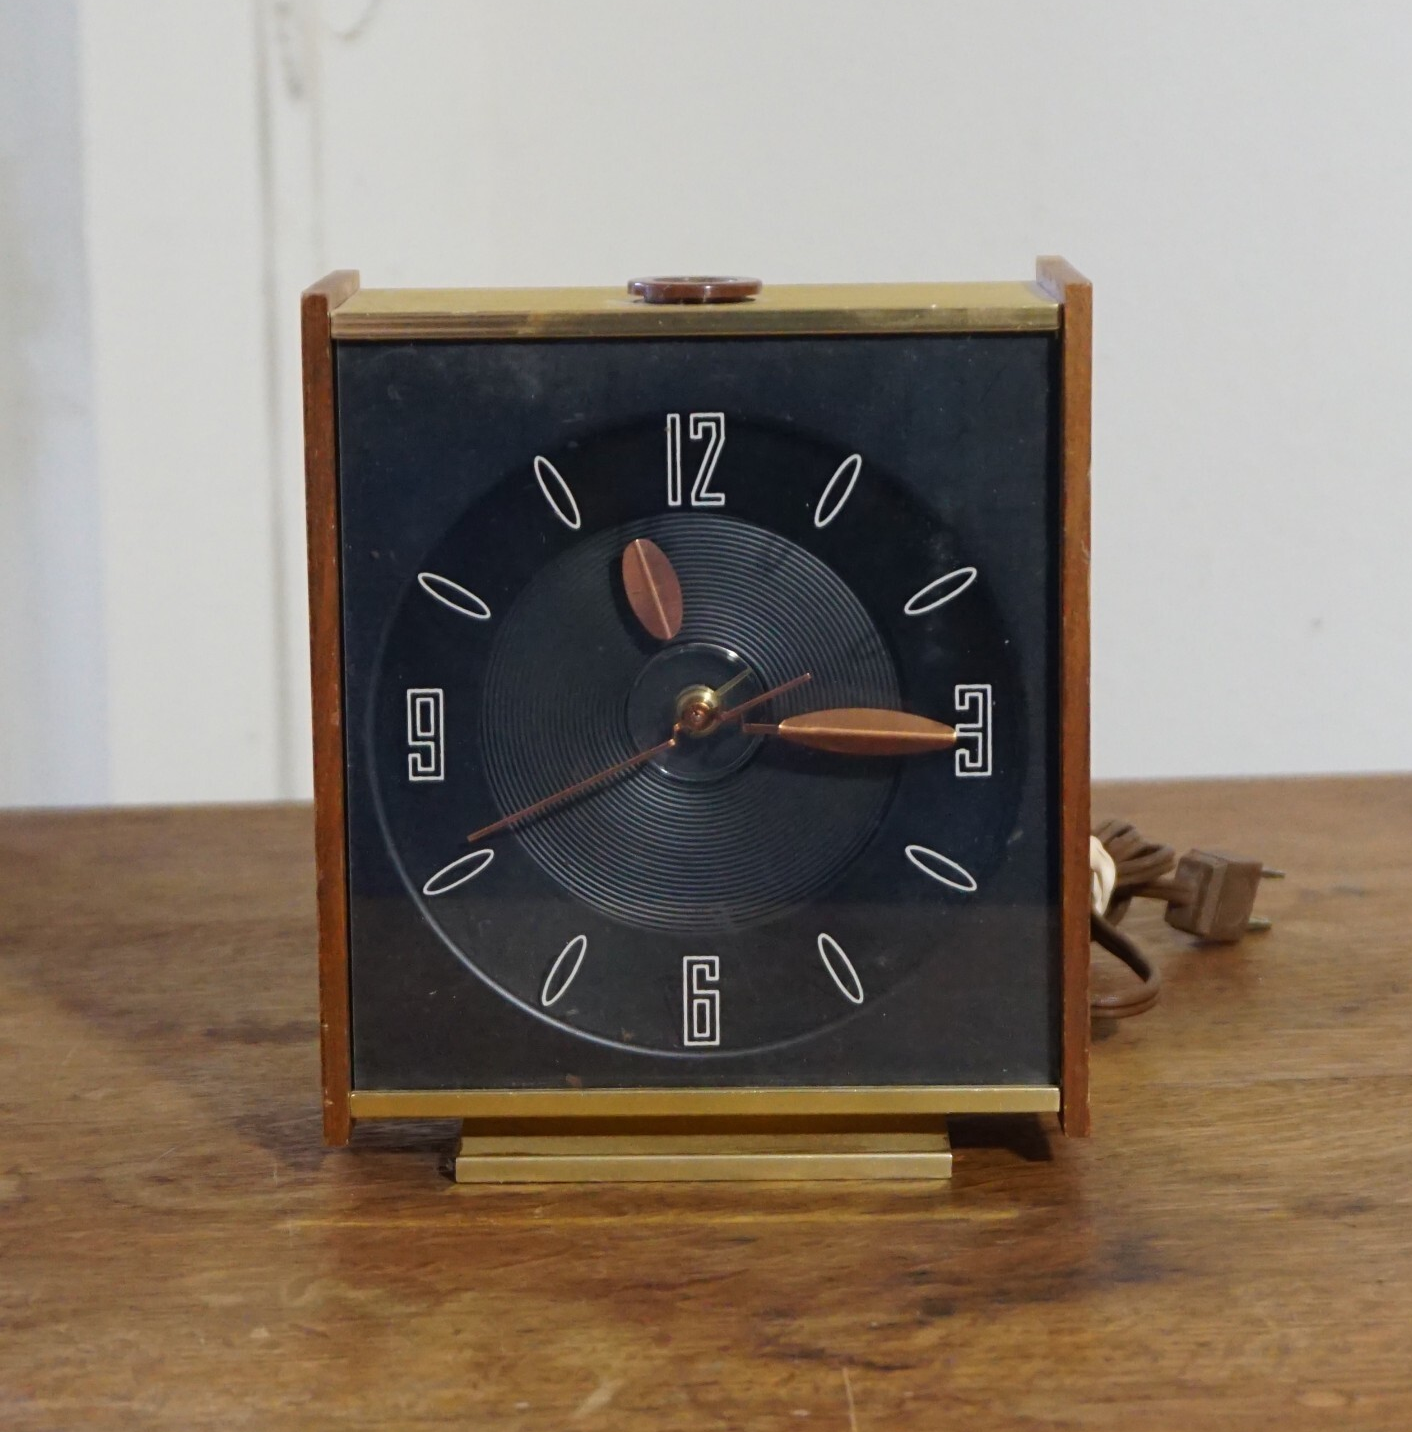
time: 11:15
